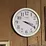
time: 3:19
